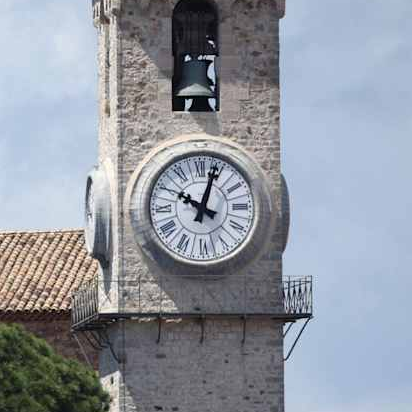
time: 10:03
